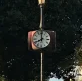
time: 7:59
